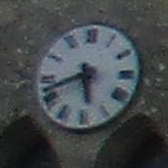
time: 5:41
